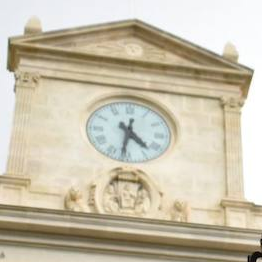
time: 4:31
